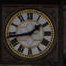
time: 1:43
